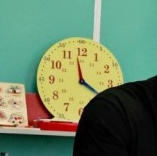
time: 3:58
